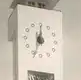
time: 12:33
